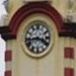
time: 3:43
